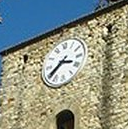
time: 3:37
